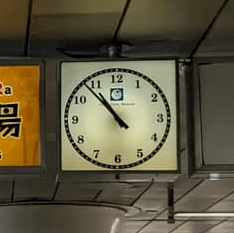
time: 10:53
